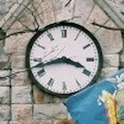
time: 3:42
